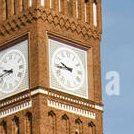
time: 9:43
